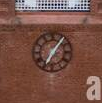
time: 7:06
